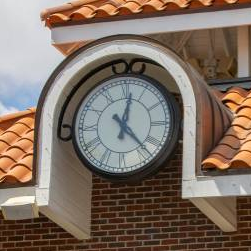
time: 12:22
